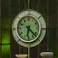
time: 6:22
